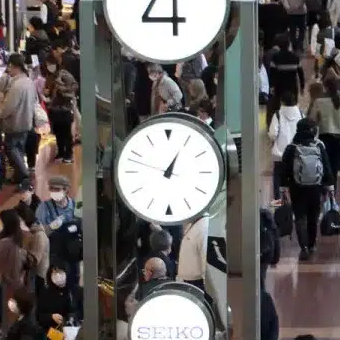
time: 12:48
